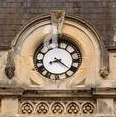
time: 8:21
